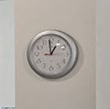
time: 12:59
